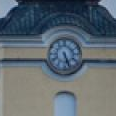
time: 5:26
